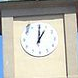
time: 1:00
